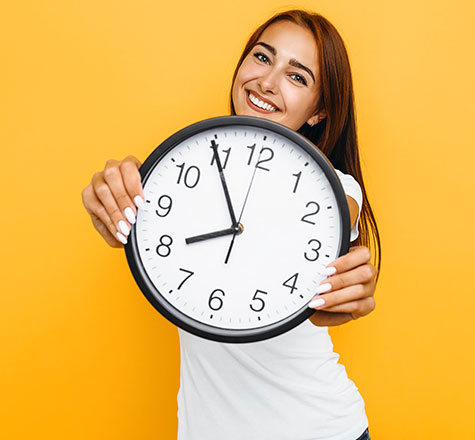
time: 7:54
